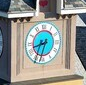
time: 8:34
